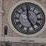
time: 4:59
